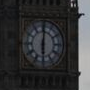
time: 6:00
